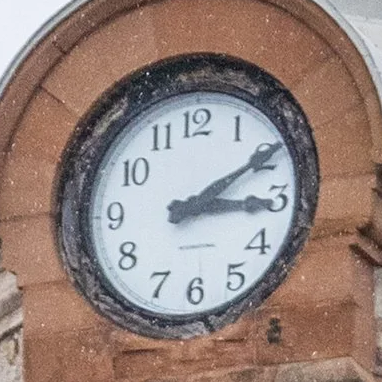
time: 3:10
